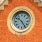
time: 10:24
